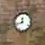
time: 11:42
